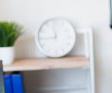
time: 11:44
